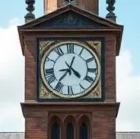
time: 4:36
